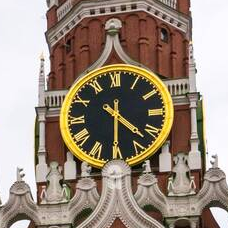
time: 4:30
